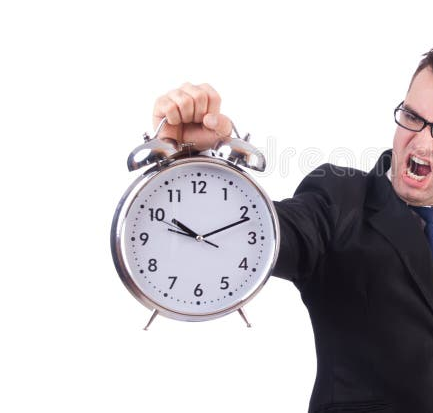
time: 10:11
